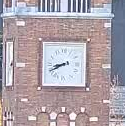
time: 8:40
